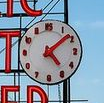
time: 4:08
